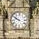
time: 9:50
